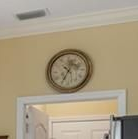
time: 10:34
